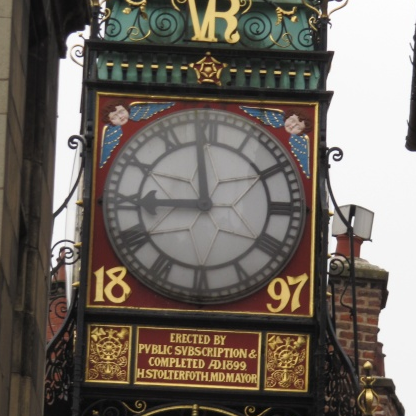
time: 8:58
